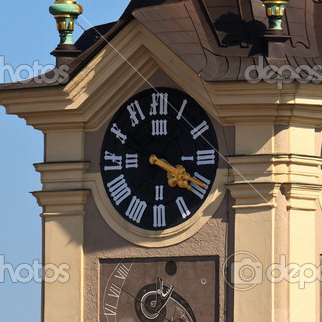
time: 4:20
